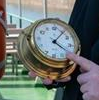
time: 4:06
